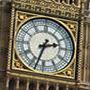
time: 2:33
